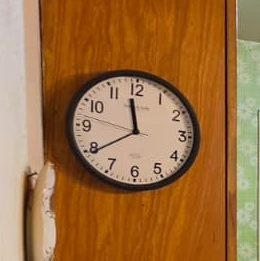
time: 11:39
